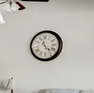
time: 11:22
